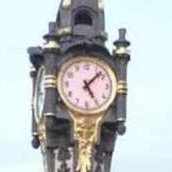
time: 5:07
